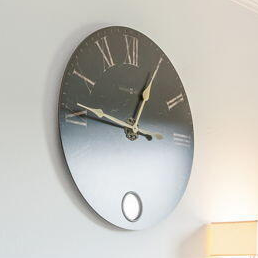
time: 12:46
